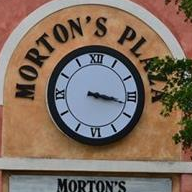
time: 3:17
